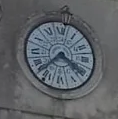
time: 3:37
